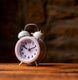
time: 10:11
